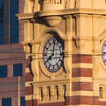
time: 8:01
